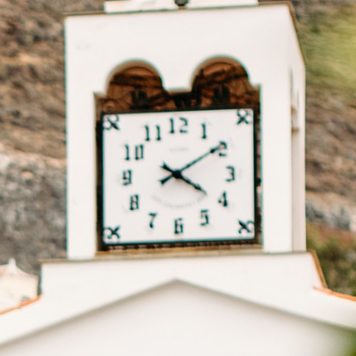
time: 4:09
